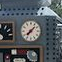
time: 7:07
